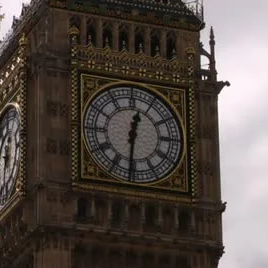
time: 12:30
